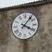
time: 4:07
